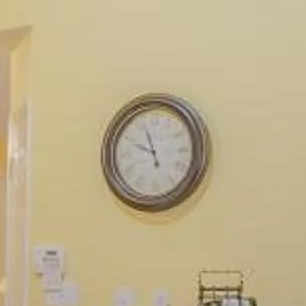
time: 9:56
